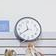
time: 11:39
